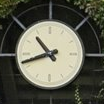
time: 10:42
